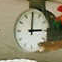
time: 3:00
